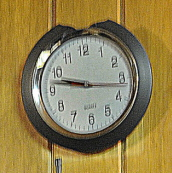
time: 9:47
